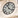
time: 11:22
